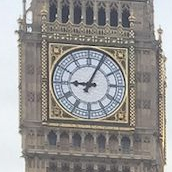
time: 9:04
